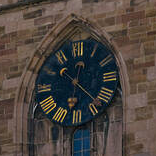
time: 12:22
